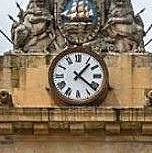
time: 1:21
